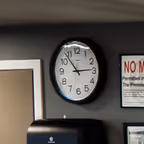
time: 2:53
